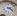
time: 3:22
